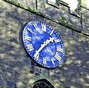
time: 1:36
